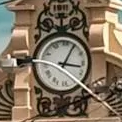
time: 3:04
